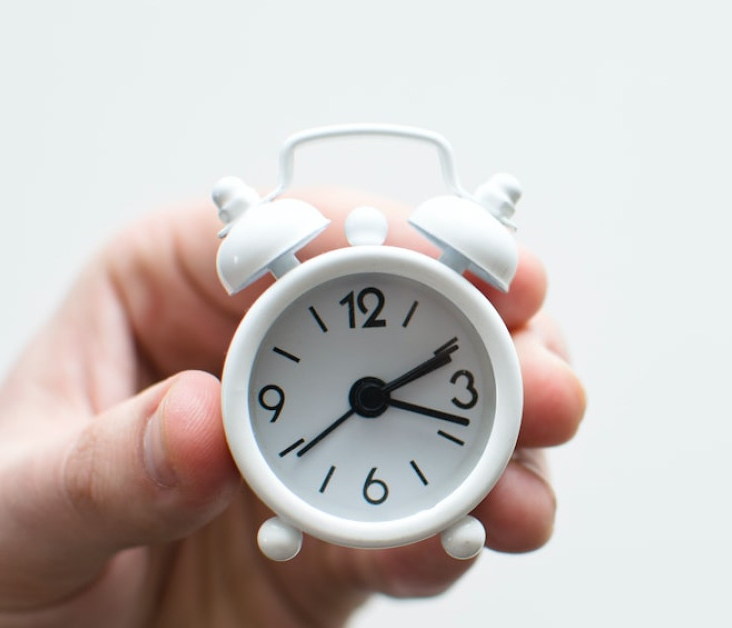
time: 2:18
